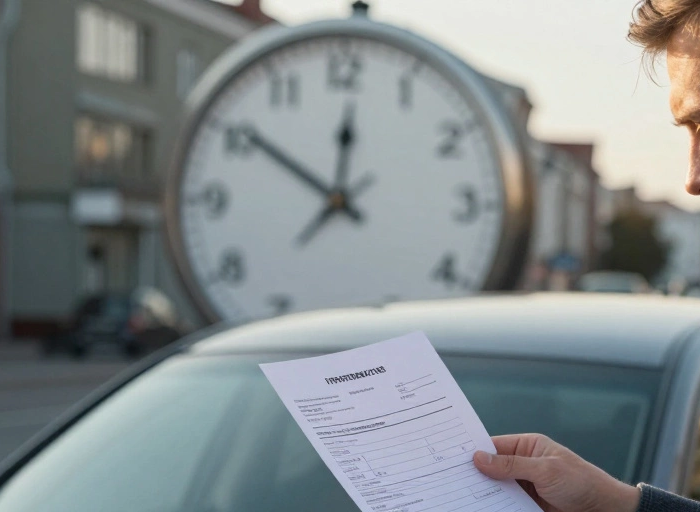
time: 11:50
